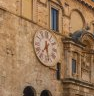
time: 7:28
